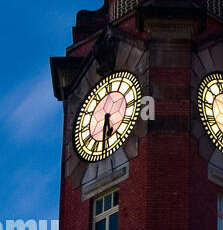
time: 5:31
